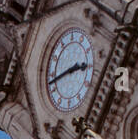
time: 2:42
